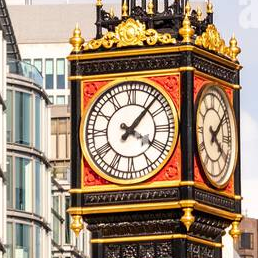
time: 4:07
